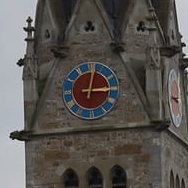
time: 3:02
